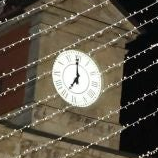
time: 6:59
